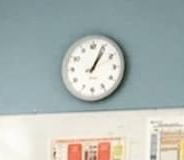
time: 1:04
